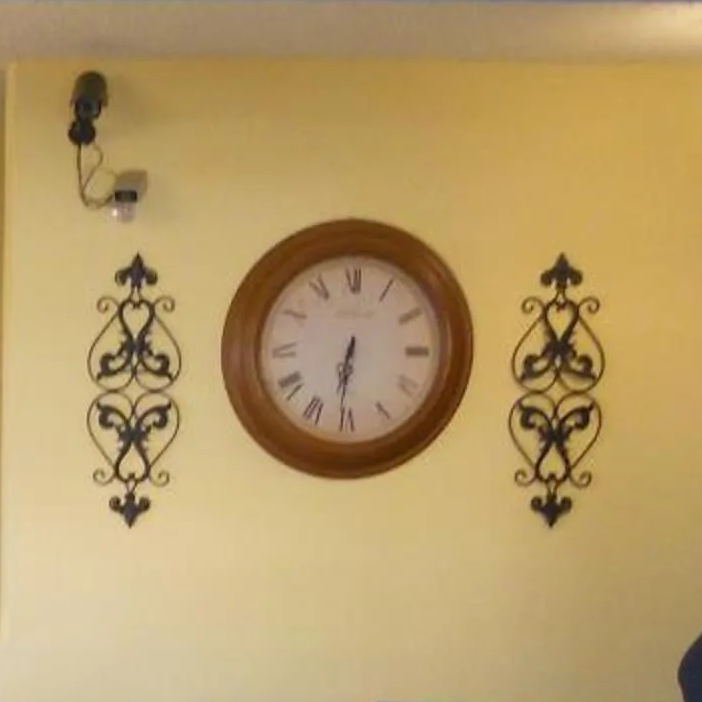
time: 6:31
